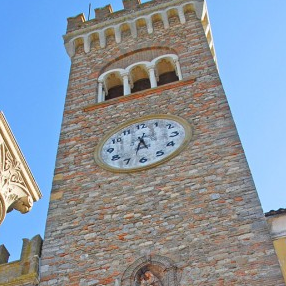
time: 5:32
